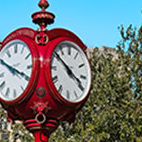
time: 3:50
